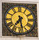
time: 7:28
